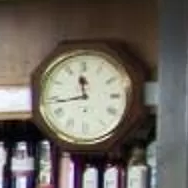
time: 11:43
